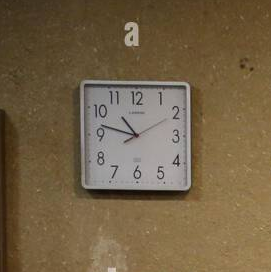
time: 10:47
